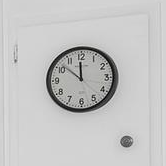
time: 11:51
